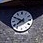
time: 7:49
